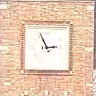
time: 2:56
